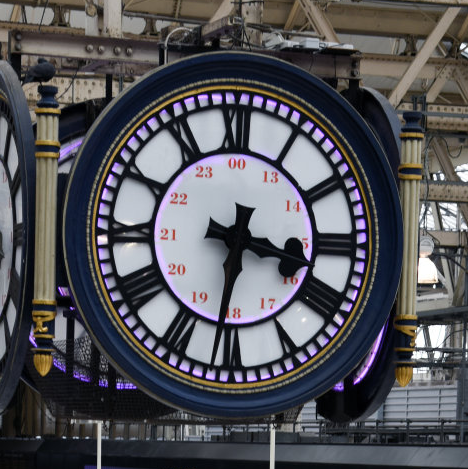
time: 3:31
